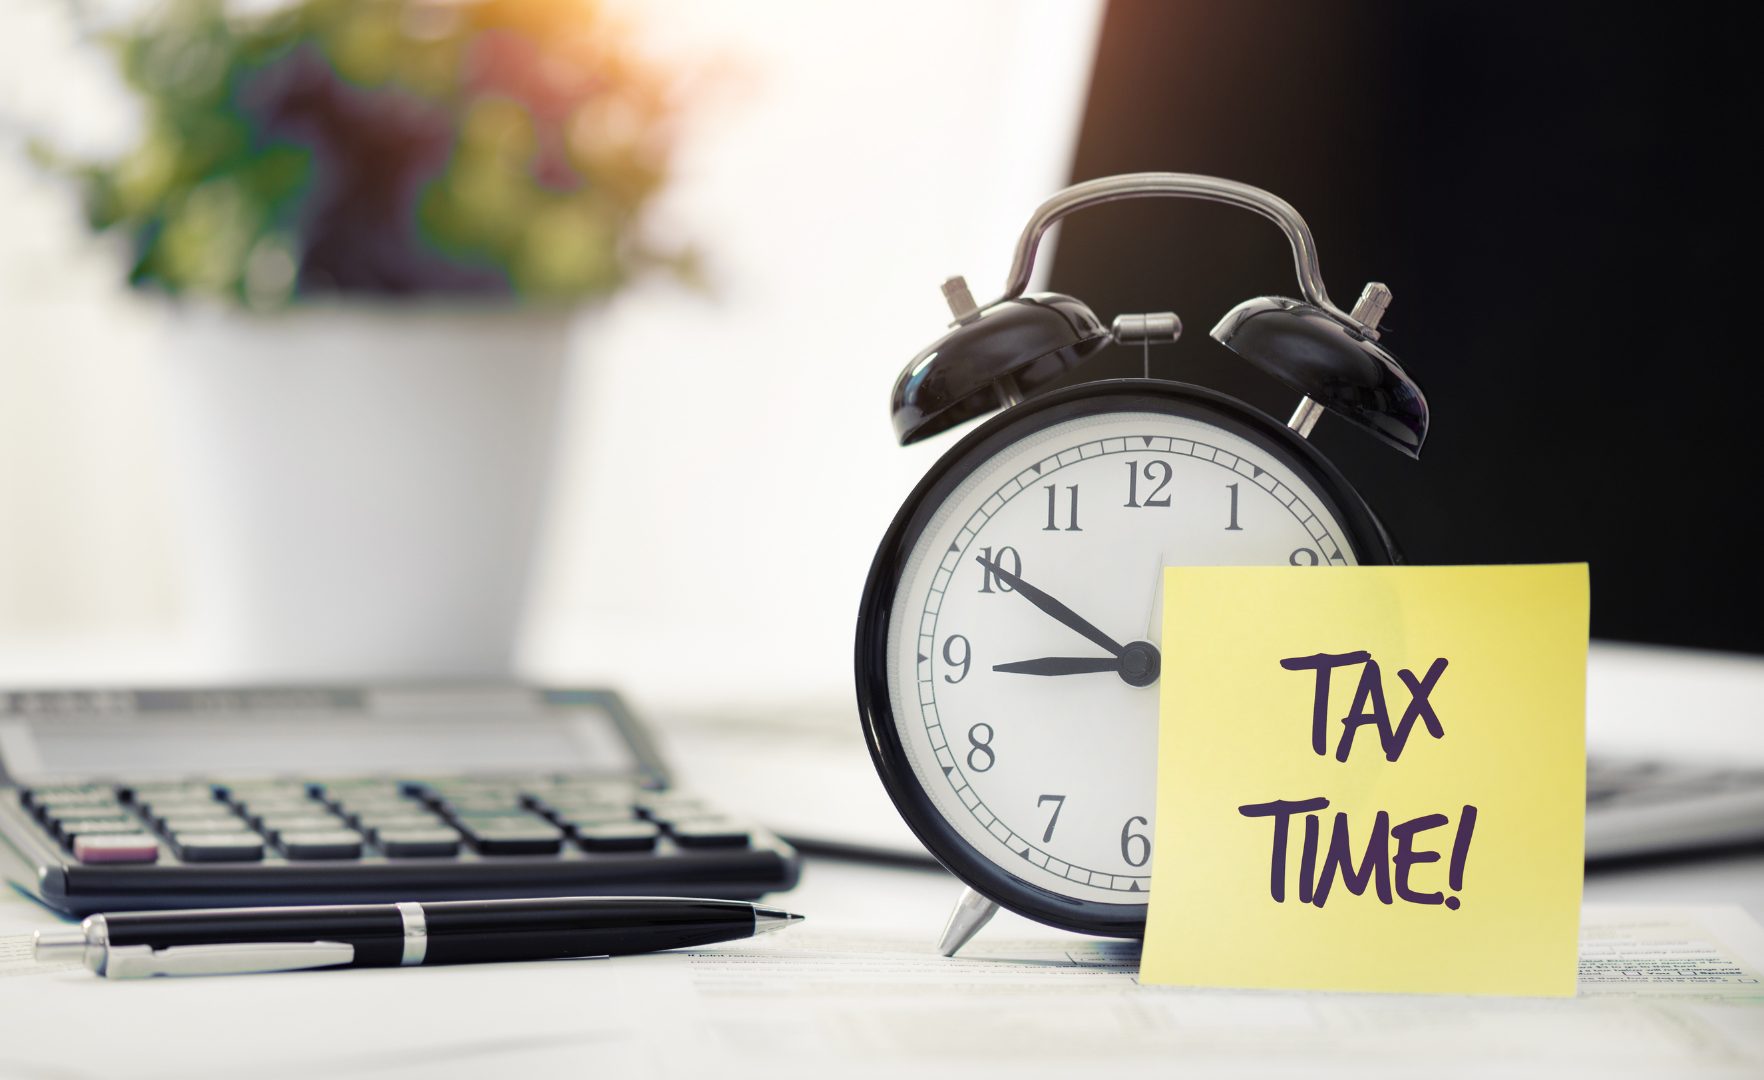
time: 8:50
